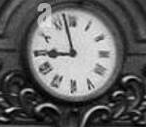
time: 8:57
